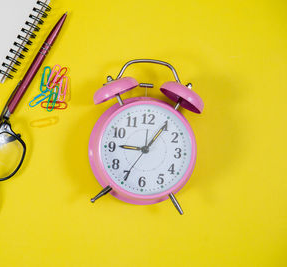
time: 9:05
